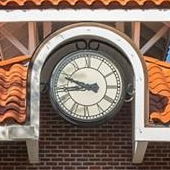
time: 9:43
